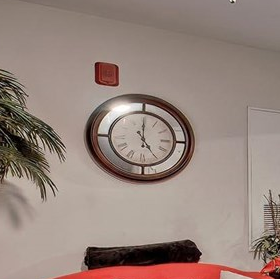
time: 5:00
